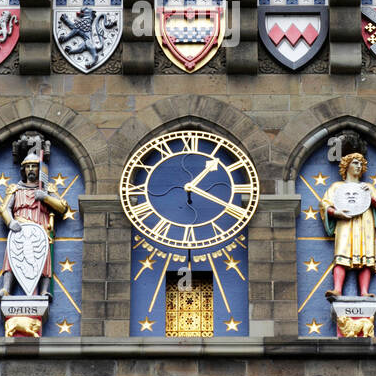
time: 1:18
